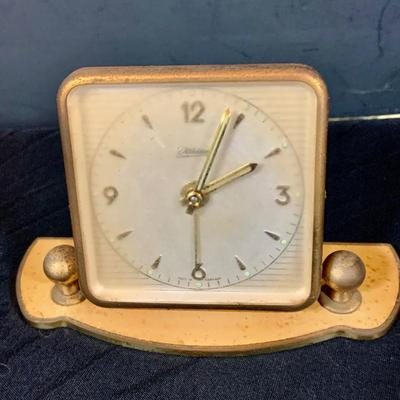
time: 2:04
